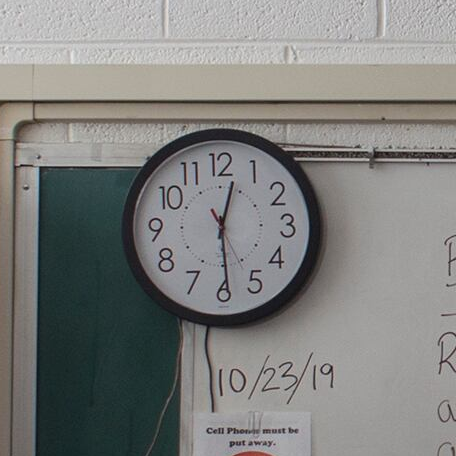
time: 12:29
